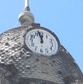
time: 11:57
